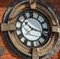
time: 10:17
